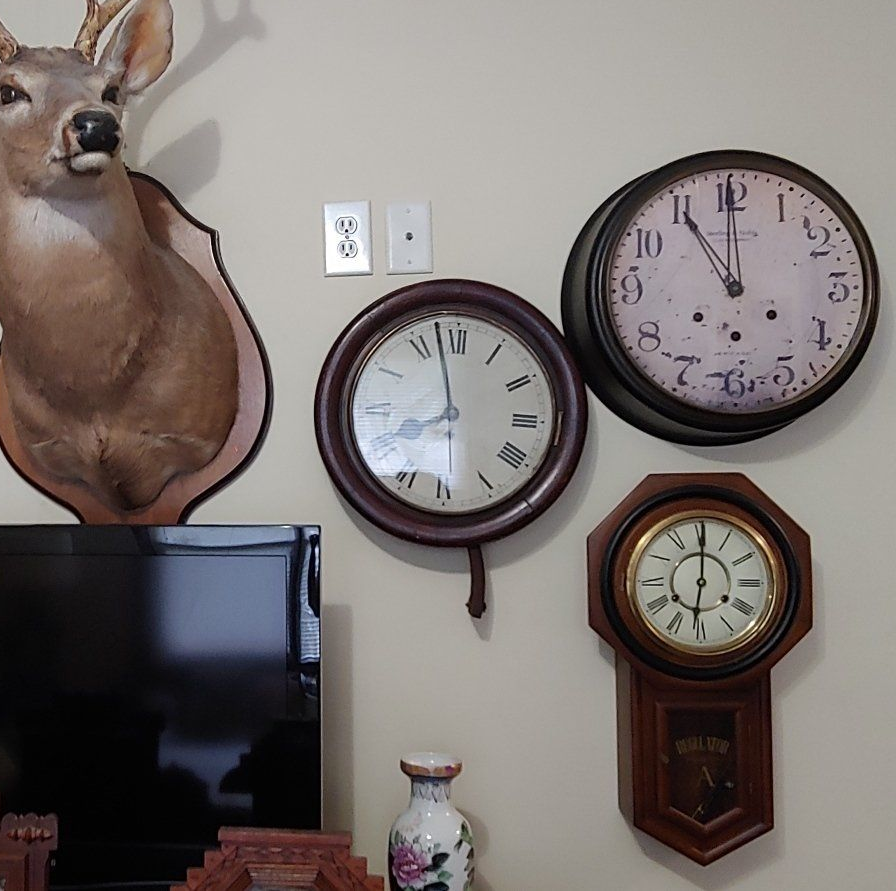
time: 7:58
